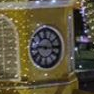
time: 9:15
